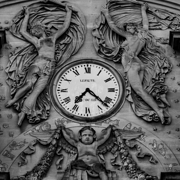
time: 7:22
